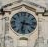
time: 3:32
